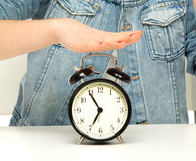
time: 6:54
